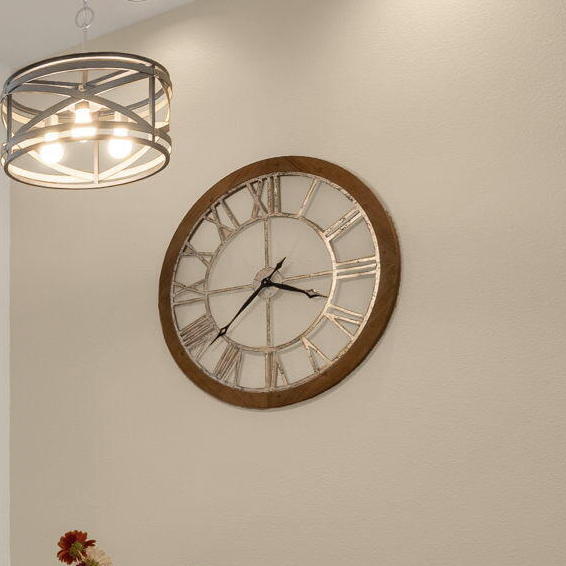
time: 3:37
